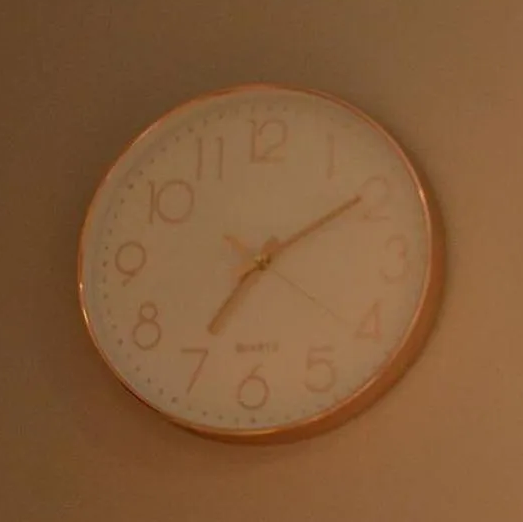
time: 7:09
